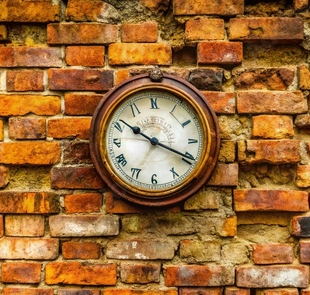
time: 10:19
